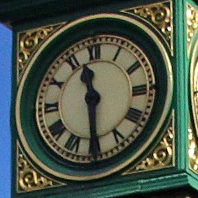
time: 11:29
